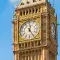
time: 12:24
